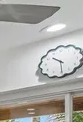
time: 10:30
